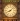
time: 8:07
